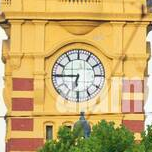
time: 6:45
